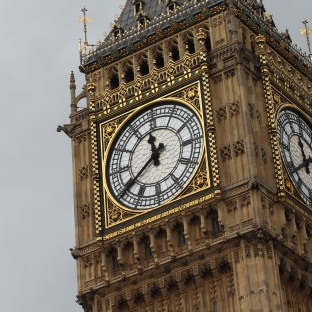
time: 11:39
